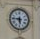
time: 5:45
